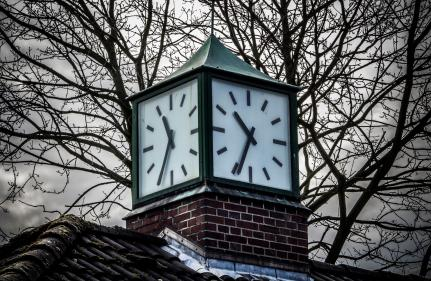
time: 10:34
